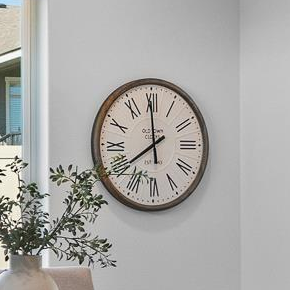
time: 7:59
